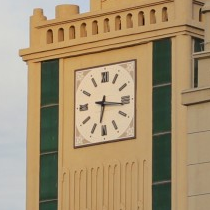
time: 6:16
